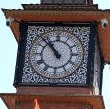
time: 10:53
